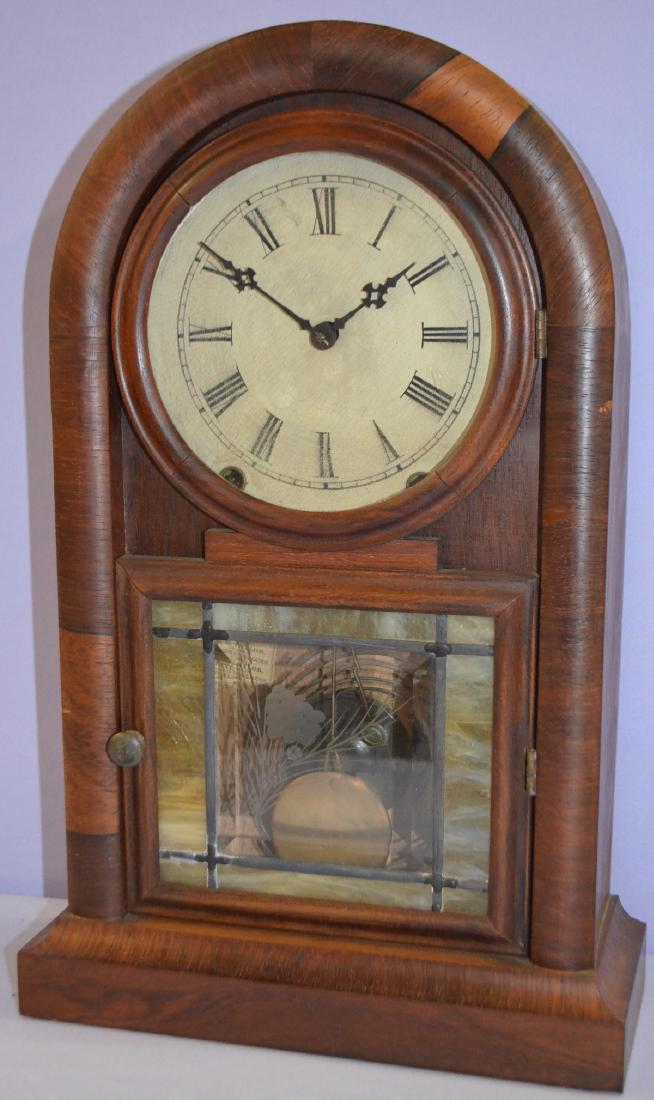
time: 1:50
